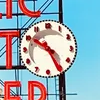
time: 10:25
